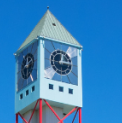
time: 12:14
